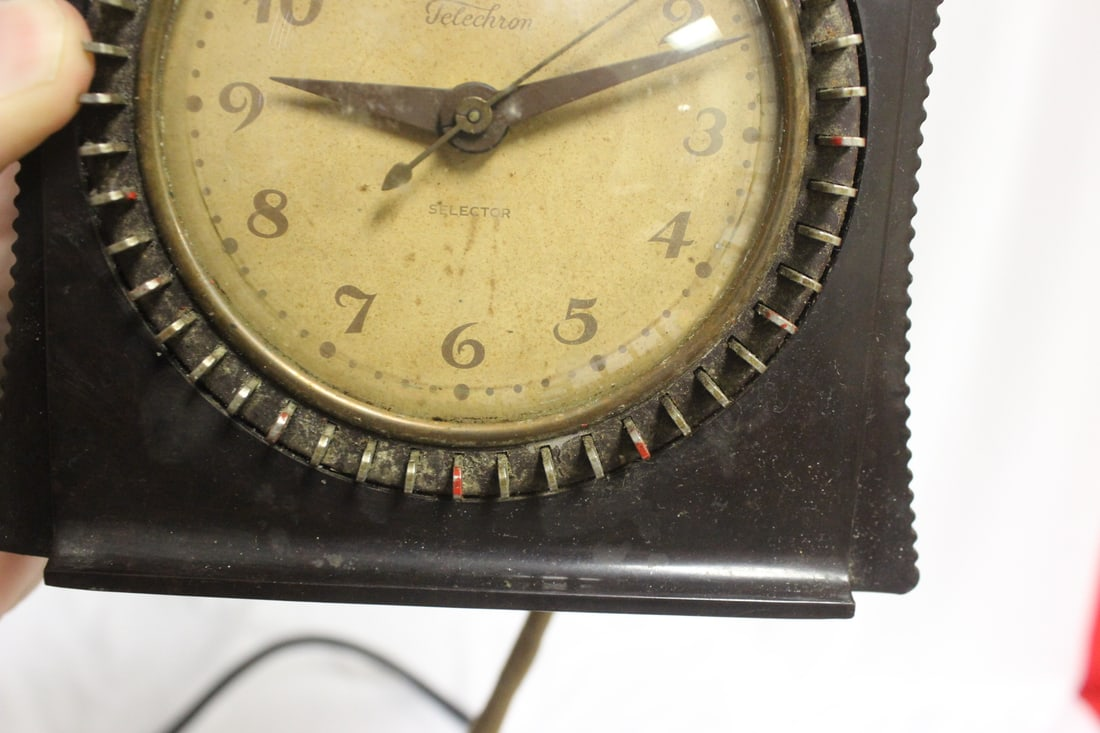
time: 9:11
